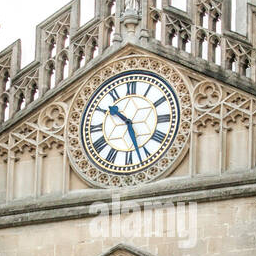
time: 10:26
